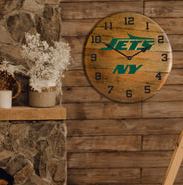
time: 1:50
